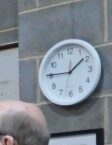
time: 1:45
